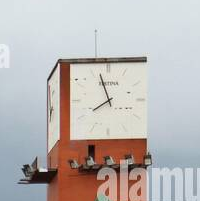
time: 7:56
